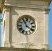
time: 3:55
